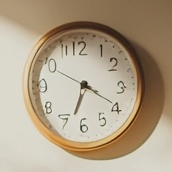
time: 6:19
